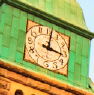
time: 3:01
